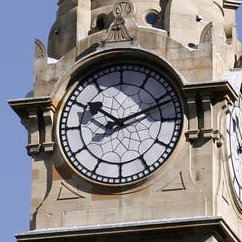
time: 10:11
